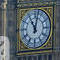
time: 11:02
